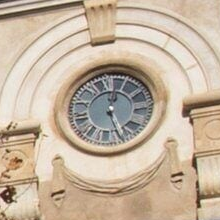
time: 12:26
